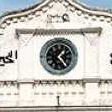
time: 1:23
